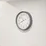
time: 8:11
